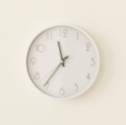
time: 11:36
